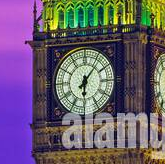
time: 6:06
